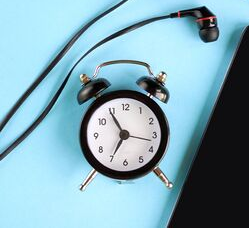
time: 6:54
